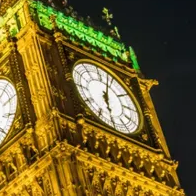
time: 6:03
